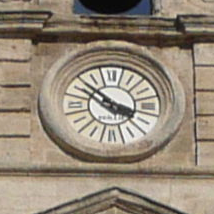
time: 3:52
